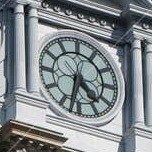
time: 4:32
